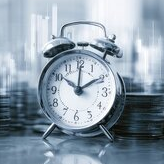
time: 1:51
